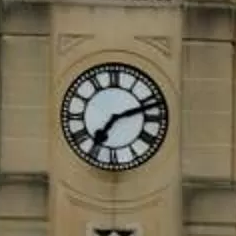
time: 7:11
